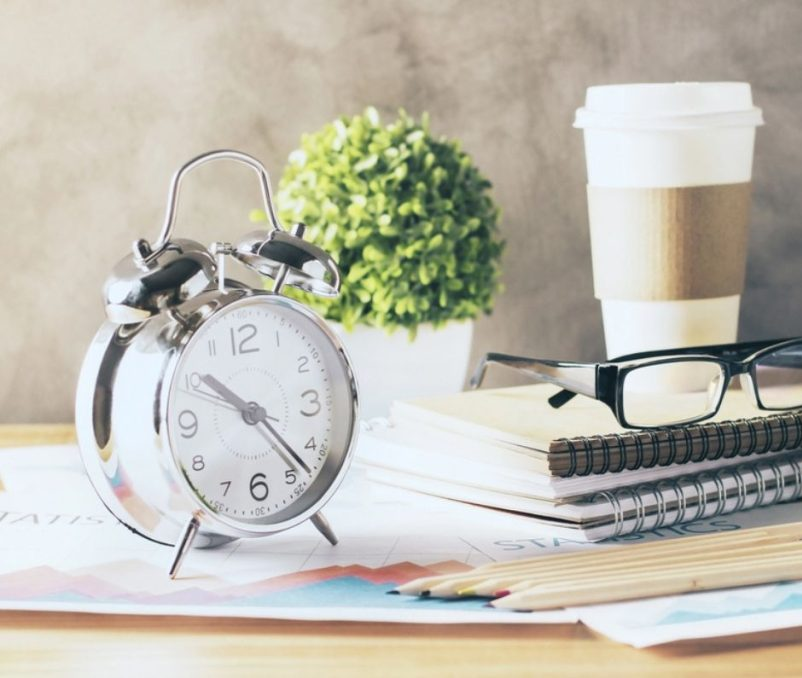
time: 10:22
